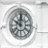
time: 10:00
